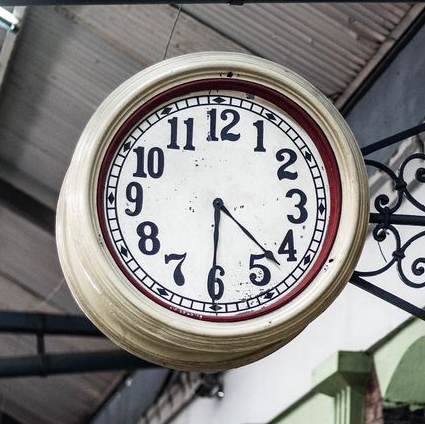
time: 4:30
